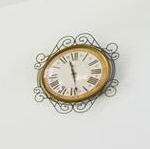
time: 11:28
